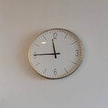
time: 11:45
